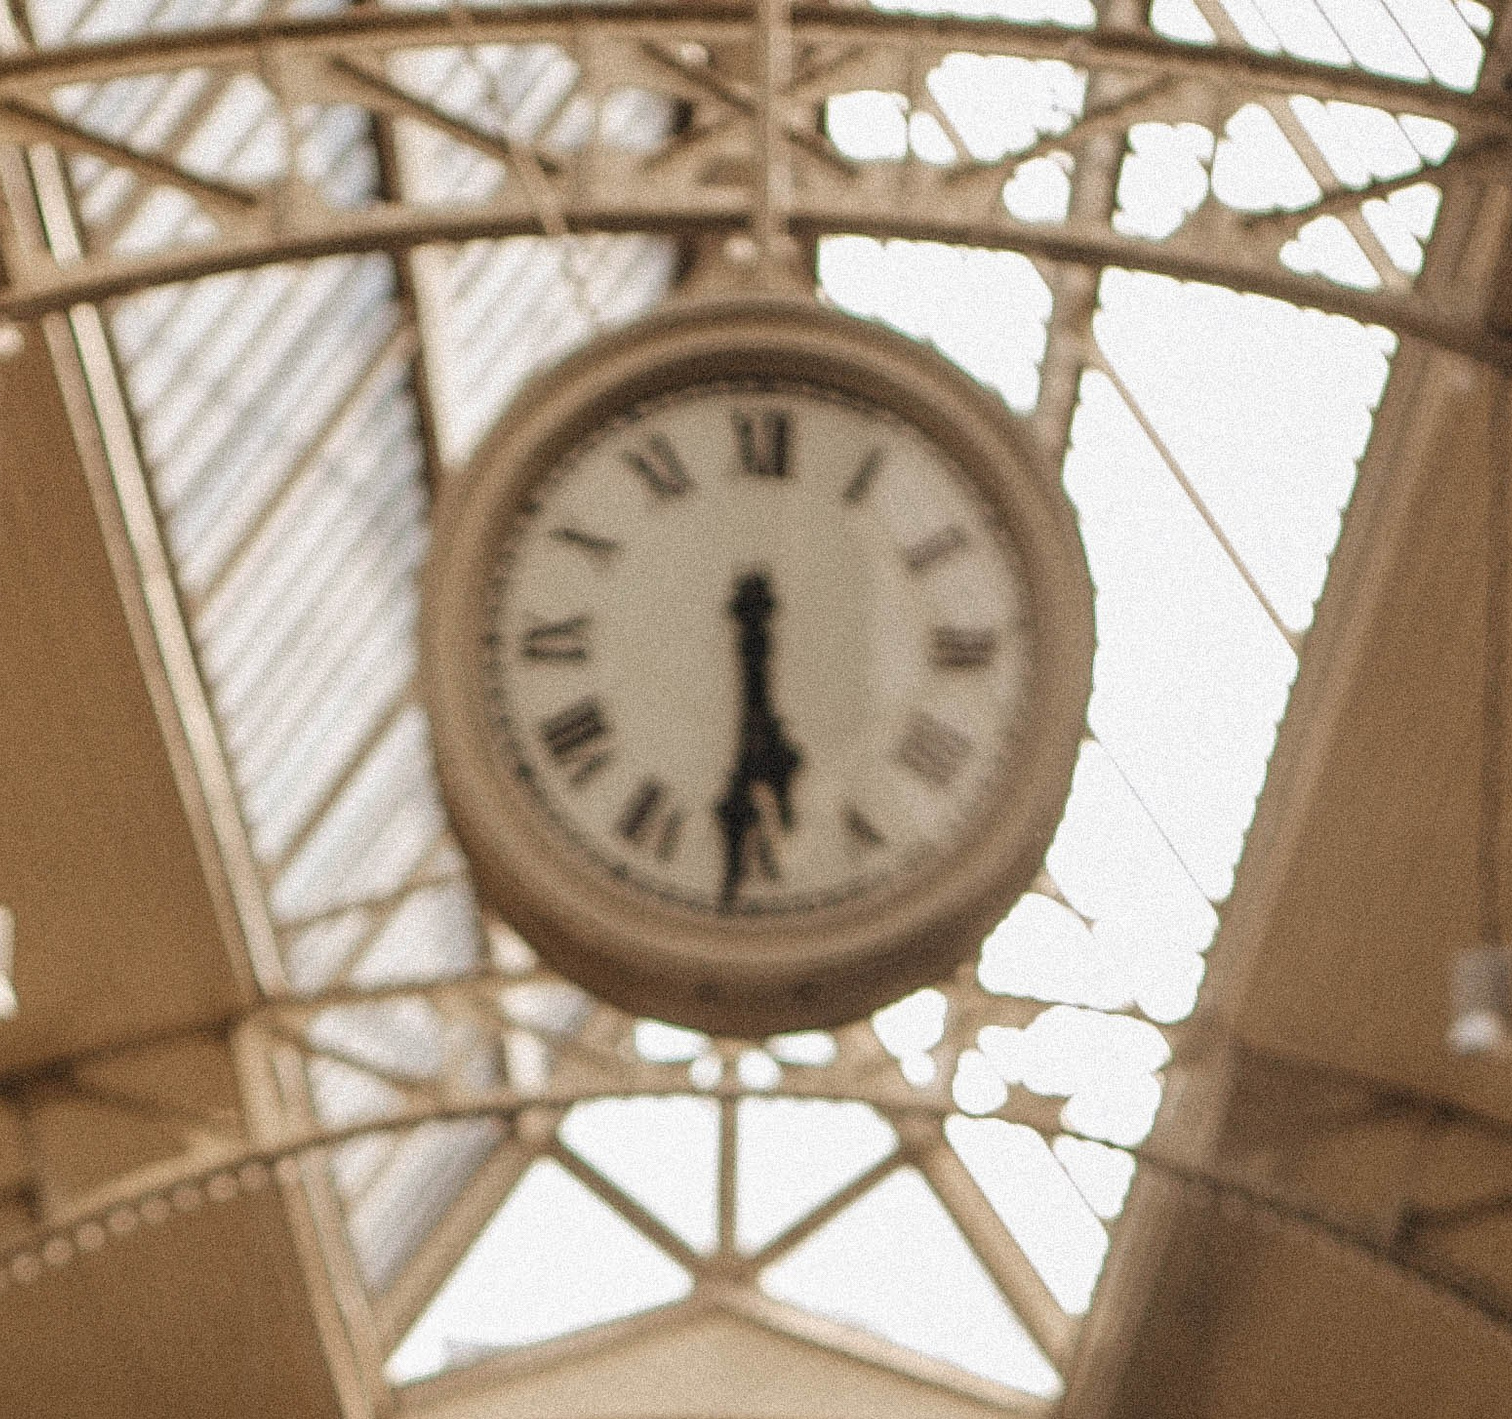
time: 5:30
